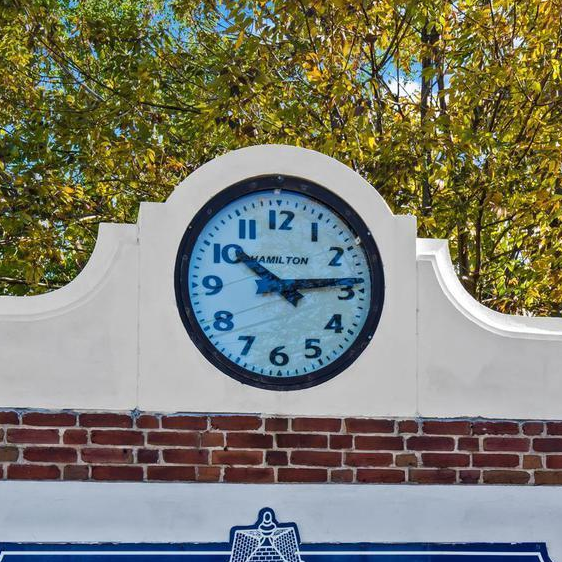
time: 10:13
